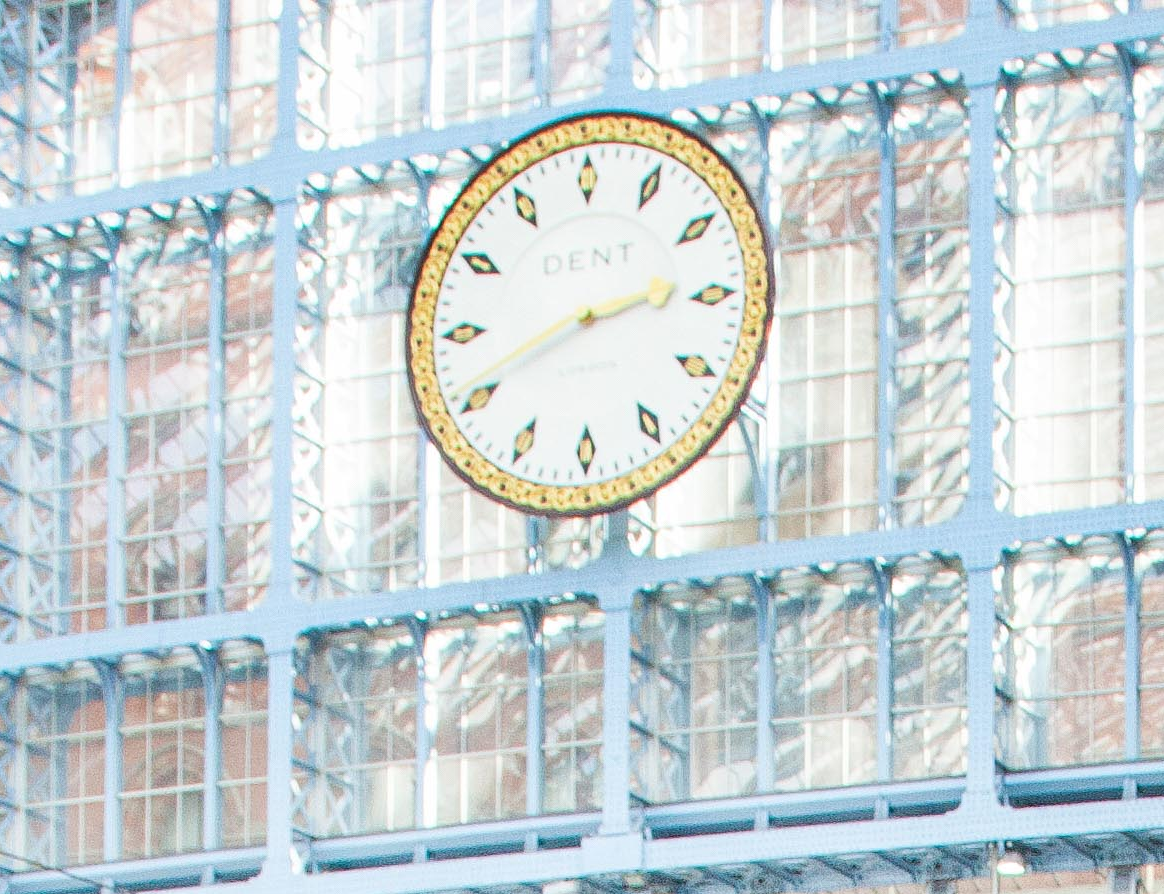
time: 2:41
